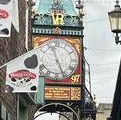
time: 11:26
